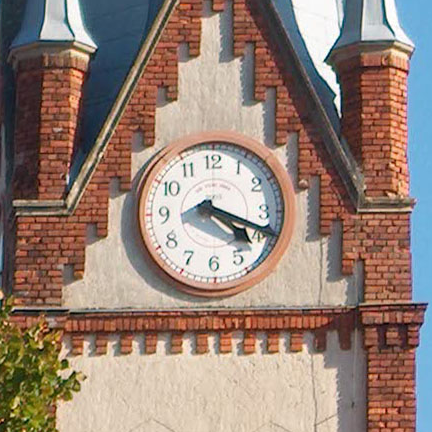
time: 4:18
